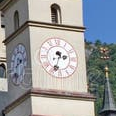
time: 2:33
